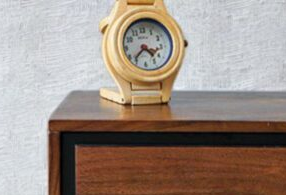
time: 4:37
